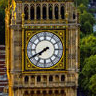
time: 7:40
